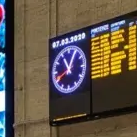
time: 11:04
